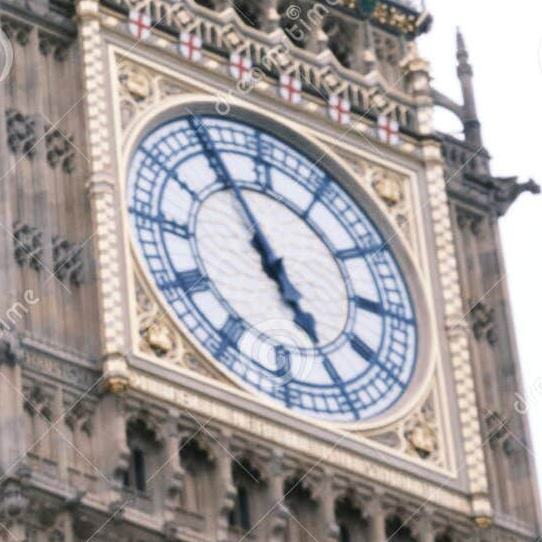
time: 4:55
